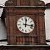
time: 12:16
